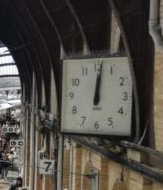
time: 12:01
